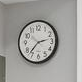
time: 2:37
